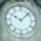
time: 10:07
